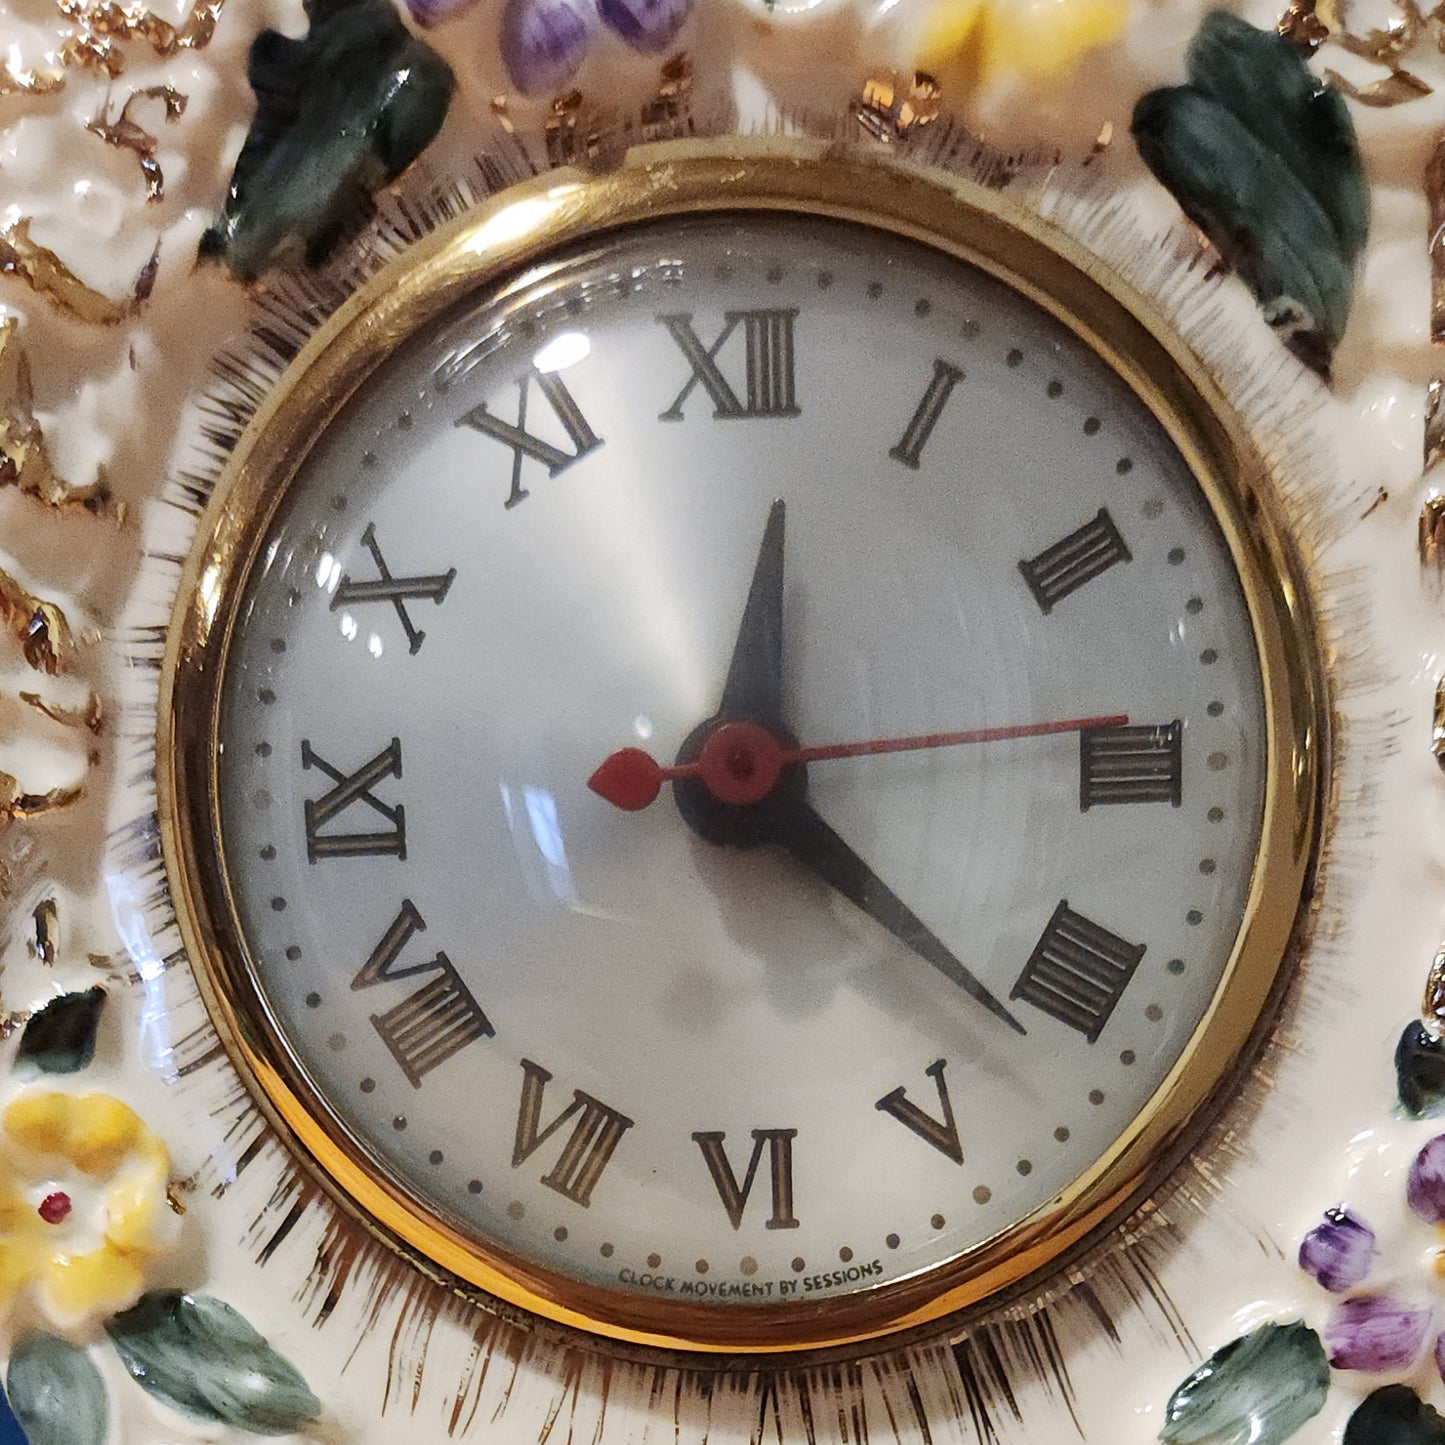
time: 12:21
